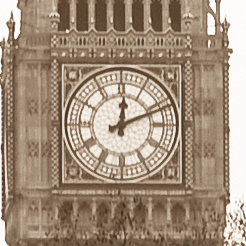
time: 12:11
